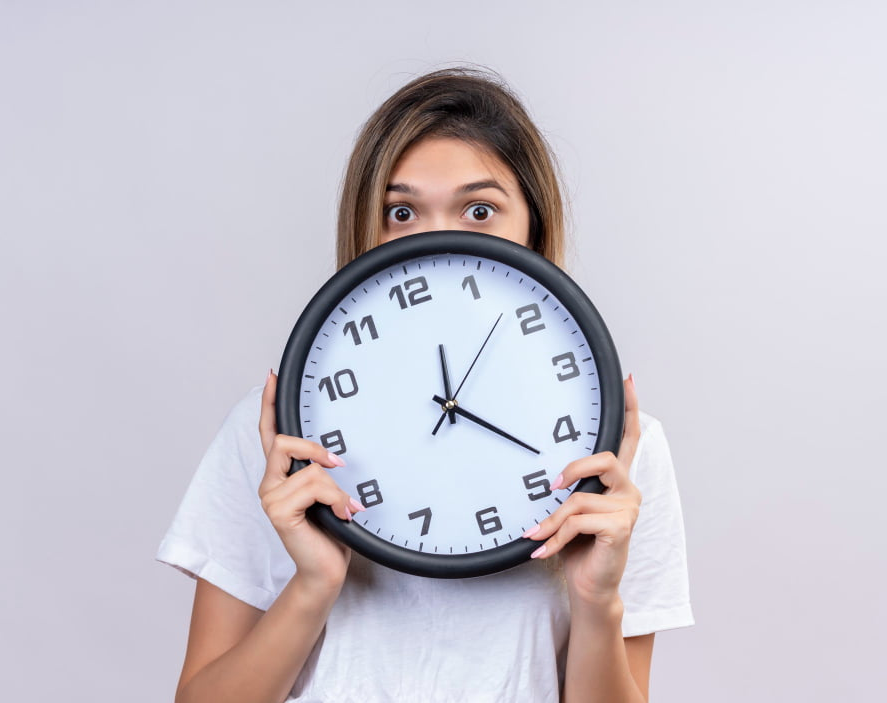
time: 12:22
